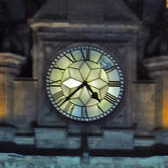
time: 4:37
